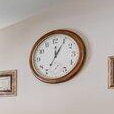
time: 12:04
